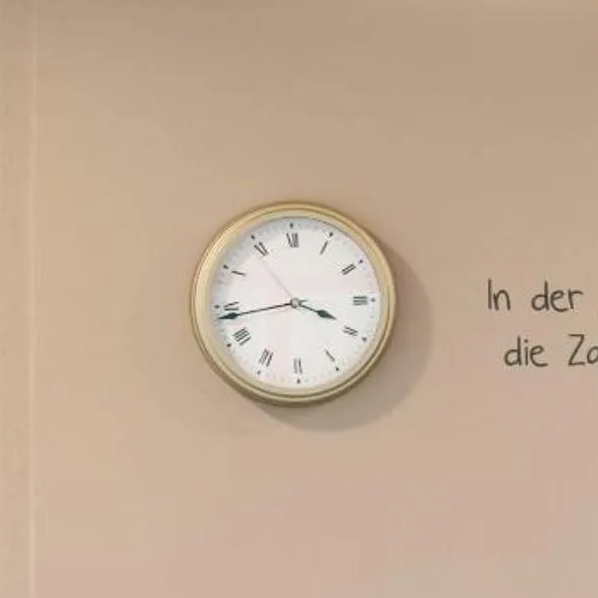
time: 3:43
